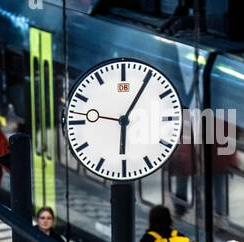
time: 6:05
